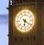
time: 6:20
